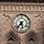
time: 5:36
